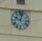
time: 10:02
